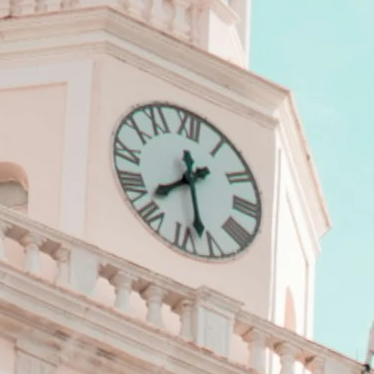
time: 7:28
